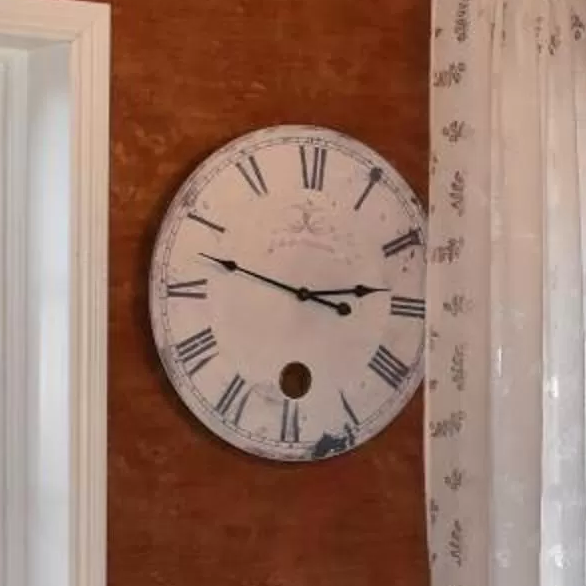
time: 2:47
